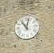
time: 11:02
